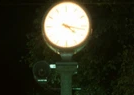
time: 4:17
